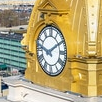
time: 9:09
